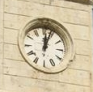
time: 12:03
